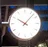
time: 10:07
